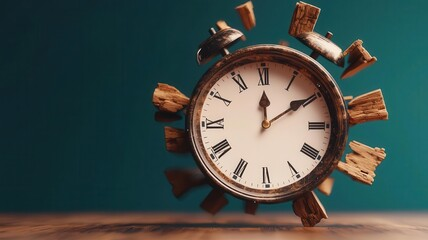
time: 12:09
